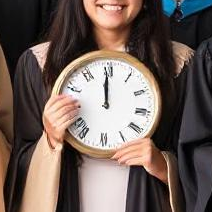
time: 11:59
